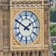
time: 1:50
